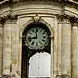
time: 11:42
